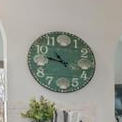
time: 10:47
